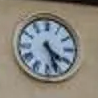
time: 4:26
